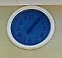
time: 7:06
